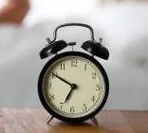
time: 6:50
